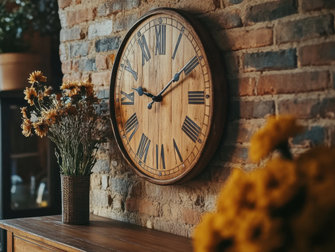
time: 9:09
